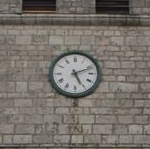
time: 5:11
